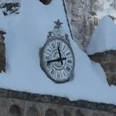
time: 11:42
